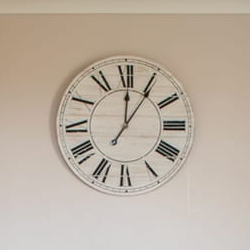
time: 12:05
